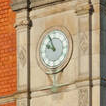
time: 9:55
